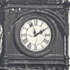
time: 1:57
